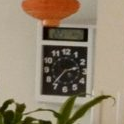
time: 2:36
